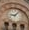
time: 9:07
